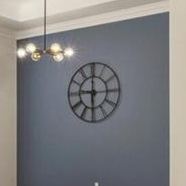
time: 5:59
